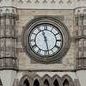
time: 11:28
